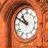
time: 10:50
